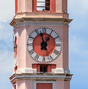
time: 12:57
